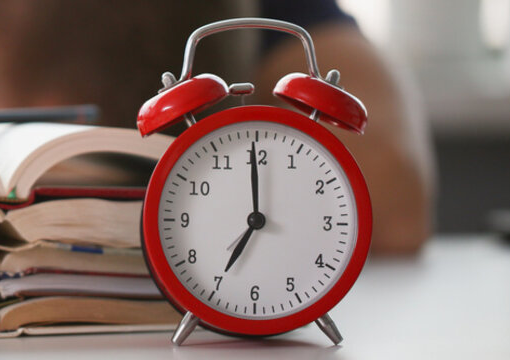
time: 6:59
